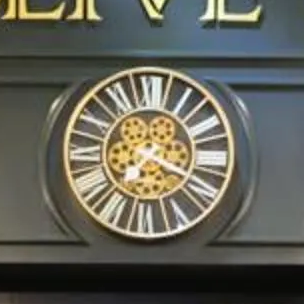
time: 7:18
